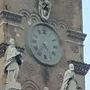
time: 4:37
